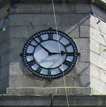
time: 2:52
